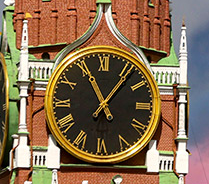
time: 11:06
